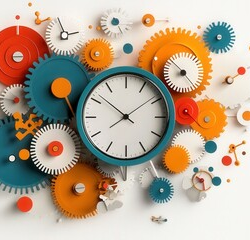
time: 7:51
